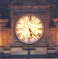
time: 5:22
